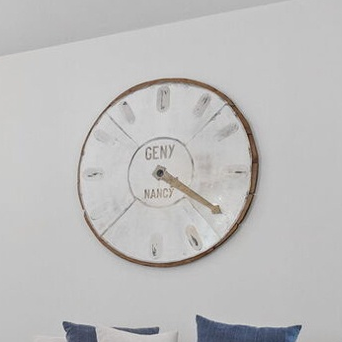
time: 4:20
